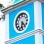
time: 6:23
